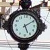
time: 5:09
